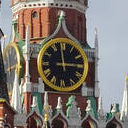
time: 2:58
